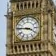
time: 3:46
